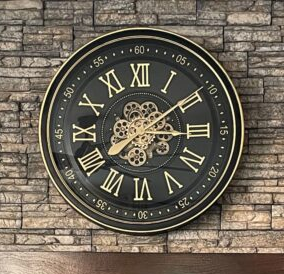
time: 3:09
